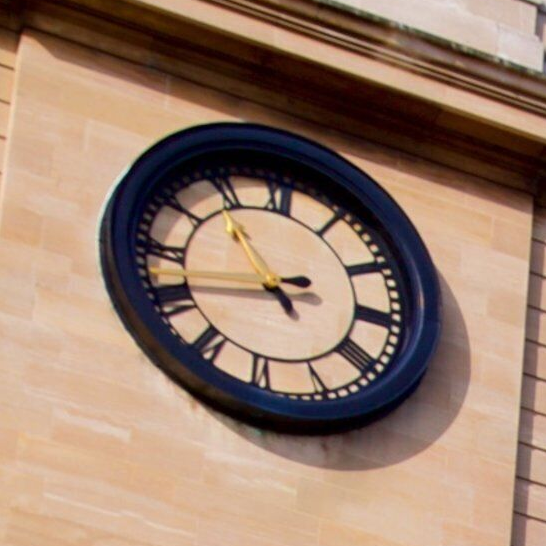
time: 10:41
